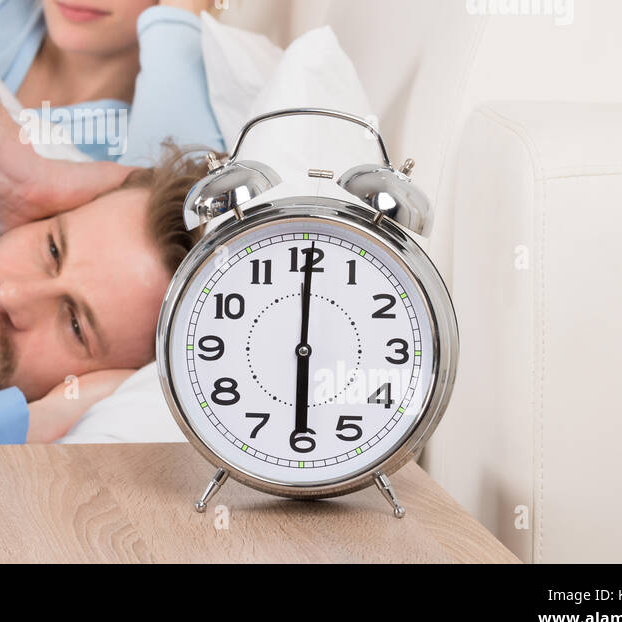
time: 6:00
